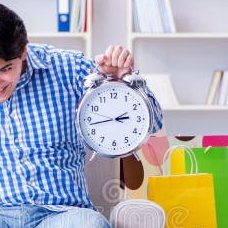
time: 2:42
